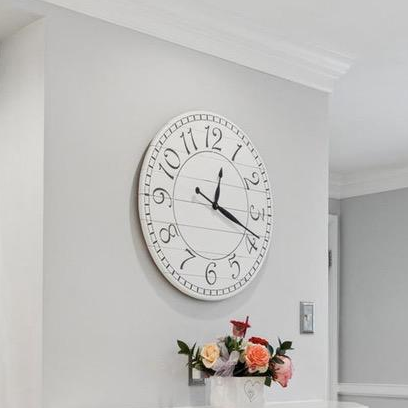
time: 12:18
